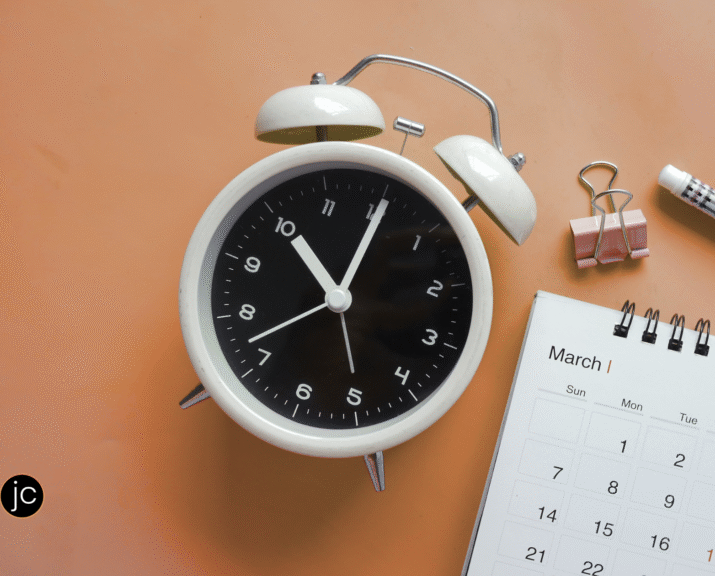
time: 11:05
